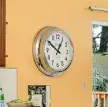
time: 12:50
